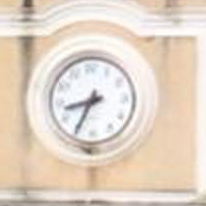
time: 8:34
